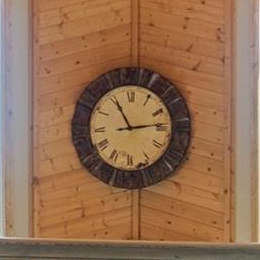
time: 11:13
